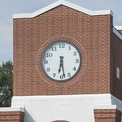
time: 6:28
